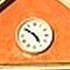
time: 4:51
